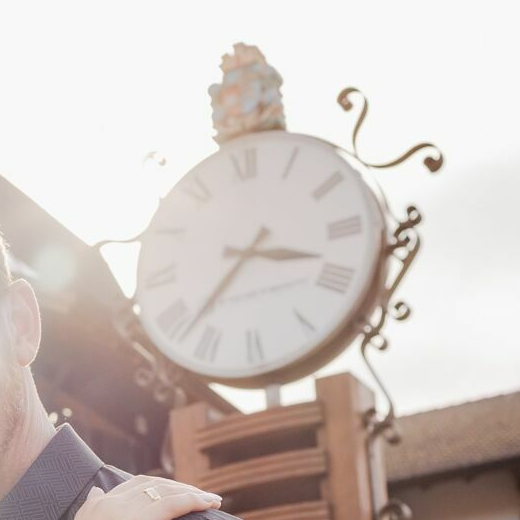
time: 3:37
